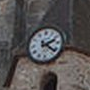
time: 2:21
